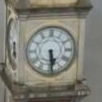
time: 5:29
